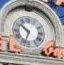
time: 10:33
